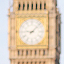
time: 9:07
